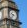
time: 9:36
